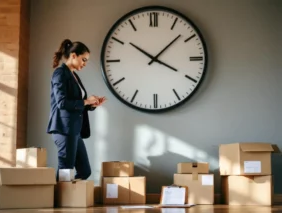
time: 10:07
